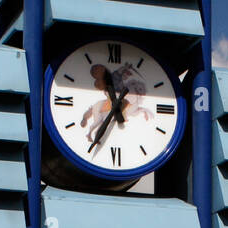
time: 11:34
